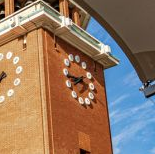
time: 7:43
